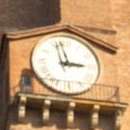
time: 2:58
